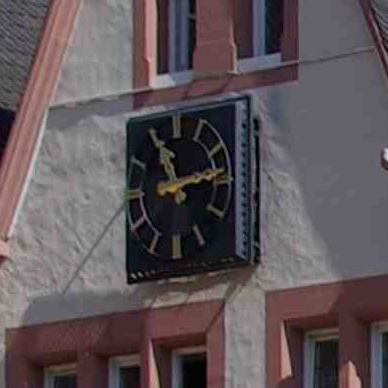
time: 11:13
